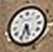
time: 5:33
